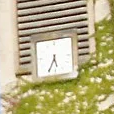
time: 5:34
